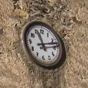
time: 11:12
